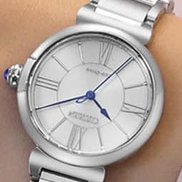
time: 4:04
